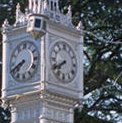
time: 7:40
